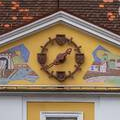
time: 1:39
